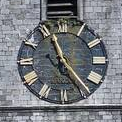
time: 11:23
